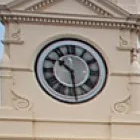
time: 10:28
